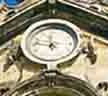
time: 11:46
